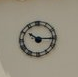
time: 10:15
